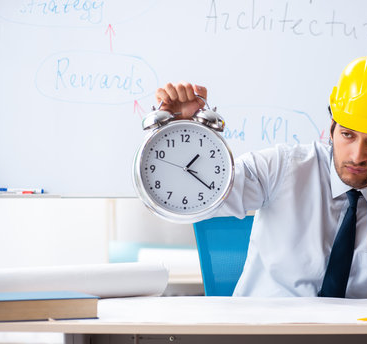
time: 1:21
